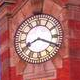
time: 8:19
